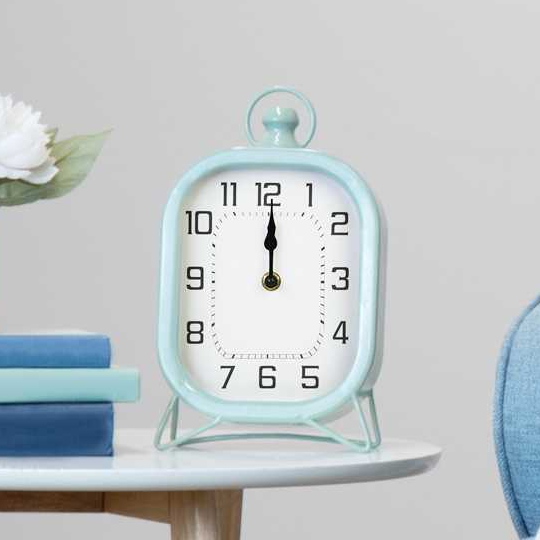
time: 12:00
